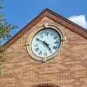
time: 4:50
